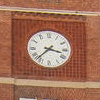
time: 3:37
